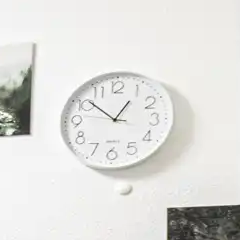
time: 12:51
